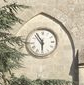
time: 5:54
